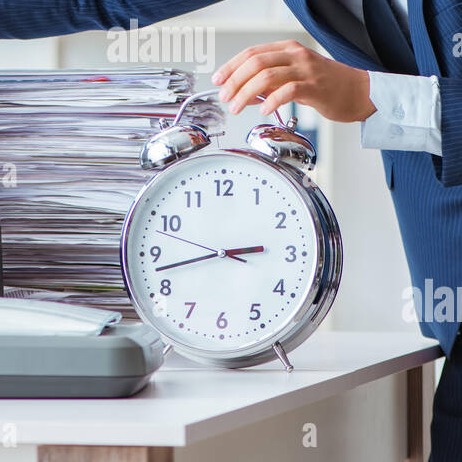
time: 2:42
